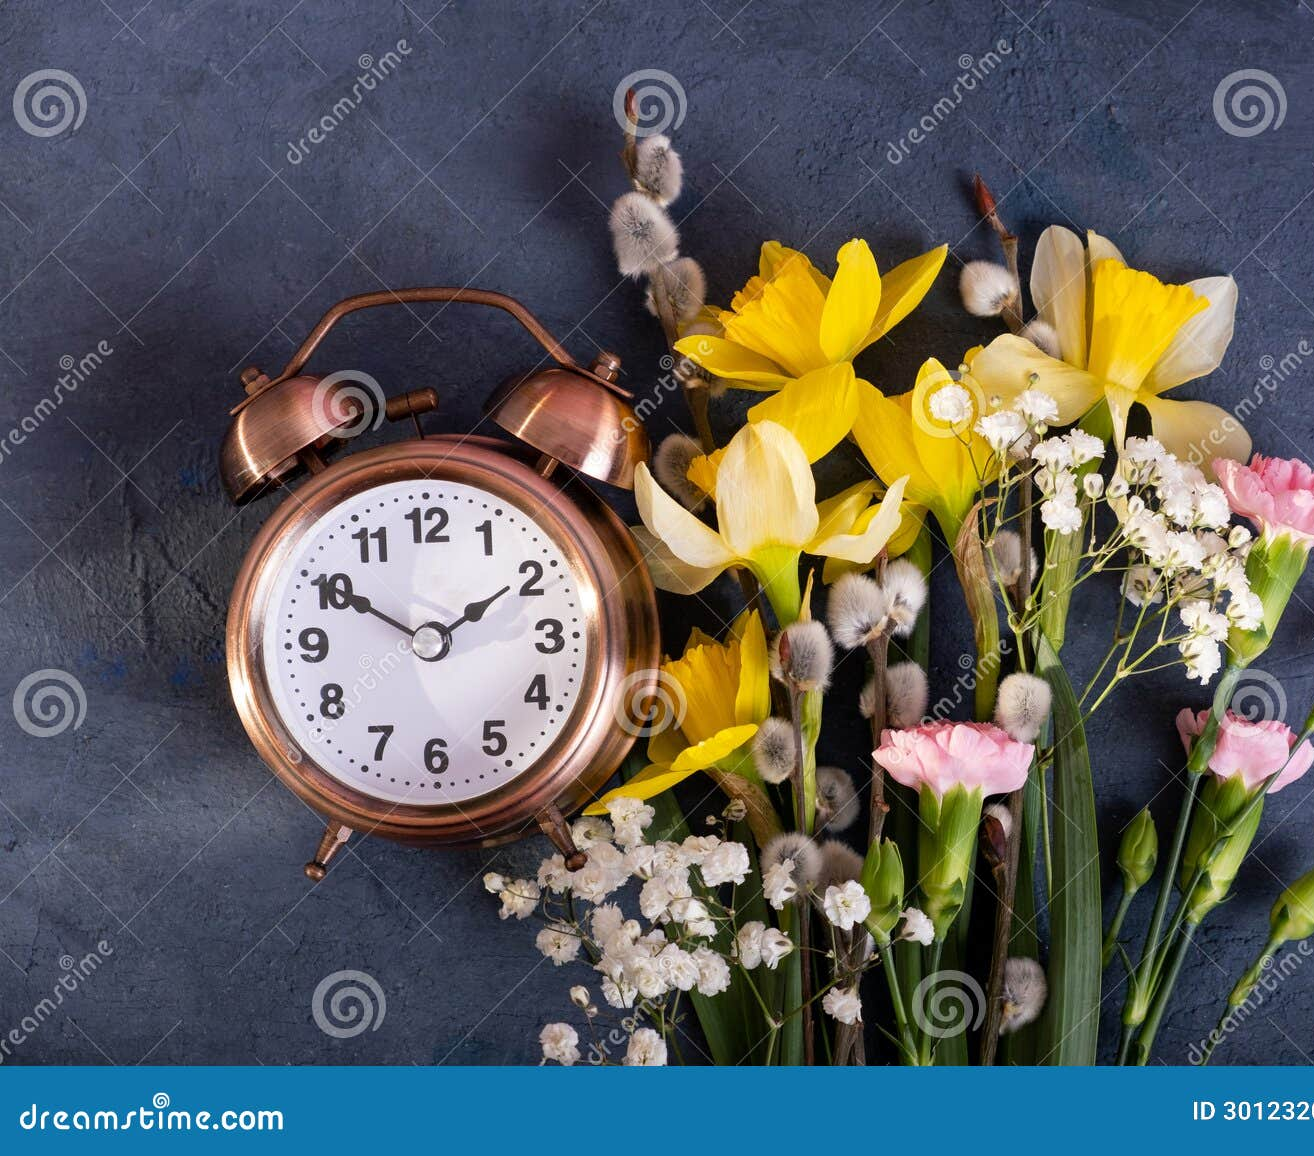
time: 1:50
